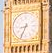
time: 8:34
